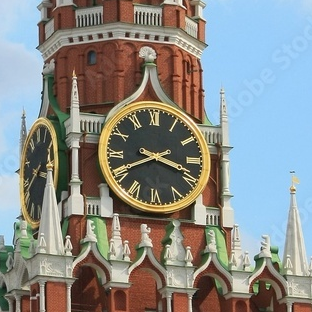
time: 3:40
